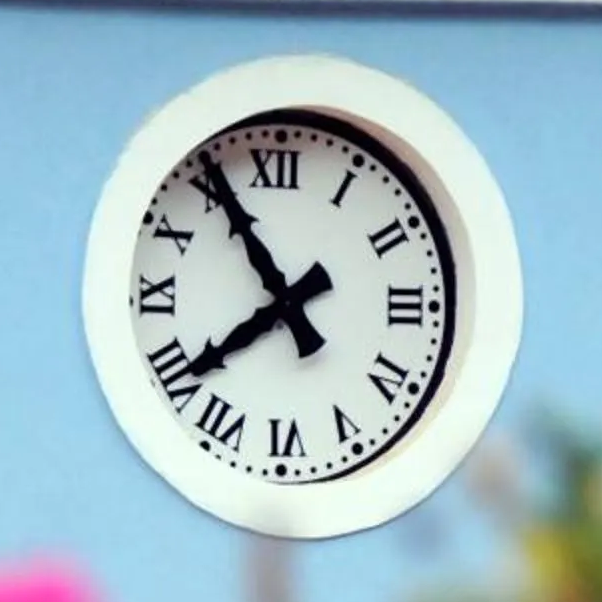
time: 7:54
